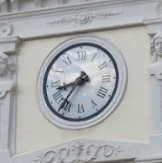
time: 8:36
